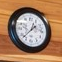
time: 1:37
